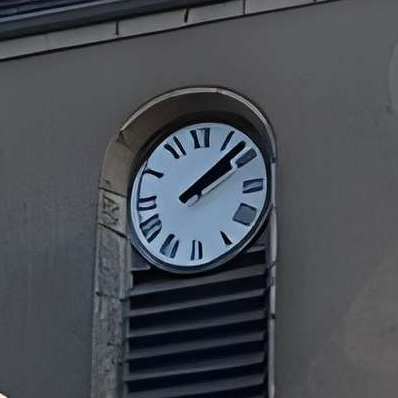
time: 2:08
